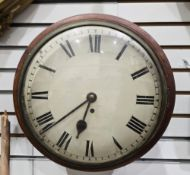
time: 6:38
